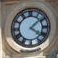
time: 4:08
